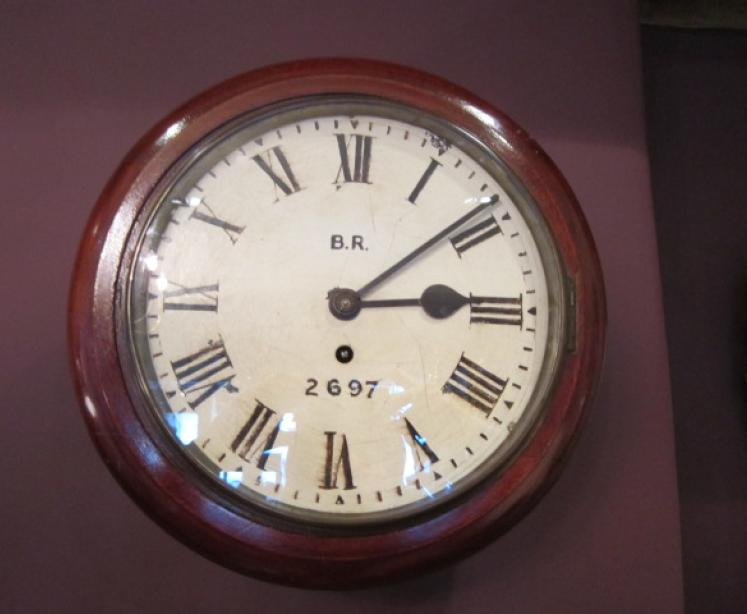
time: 3:08
